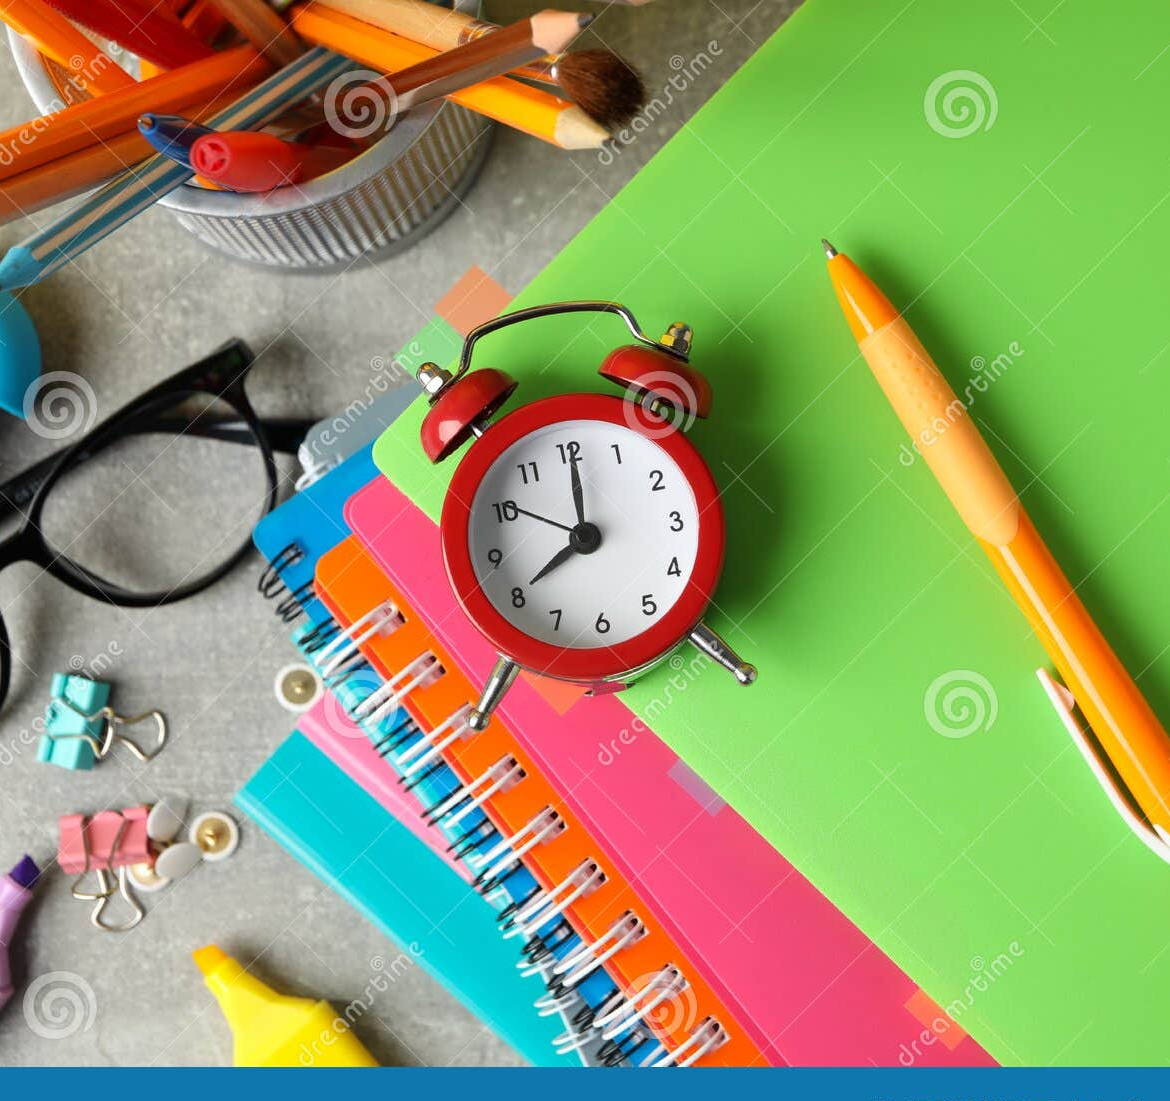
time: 8:00
